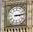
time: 3:13
